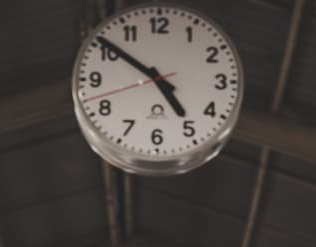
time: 4:50
